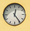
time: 12:24
